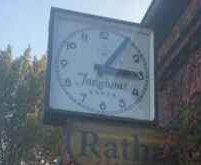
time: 3:05
